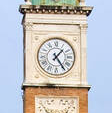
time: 1:24
